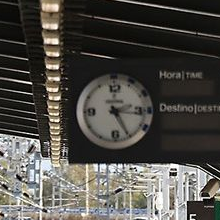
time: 3:25
